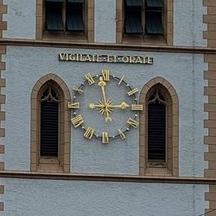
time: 2:58
